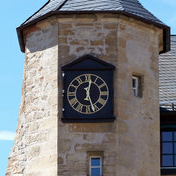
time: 12:26
